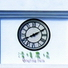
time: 8:10
